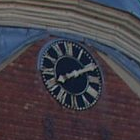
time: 8:11
